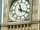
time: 11:18
